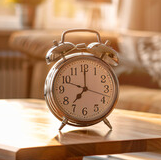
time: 7:00
